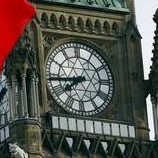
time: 7:43
